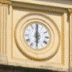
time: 6:00
